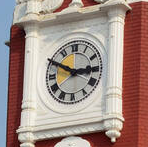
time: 2:49
